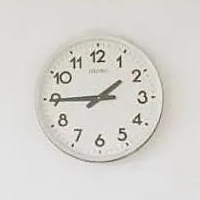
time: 1:44
